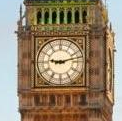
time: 9:12
